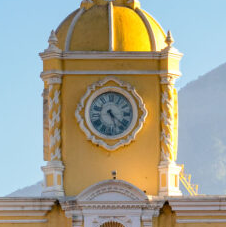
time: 5:22
